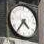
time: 4:36
